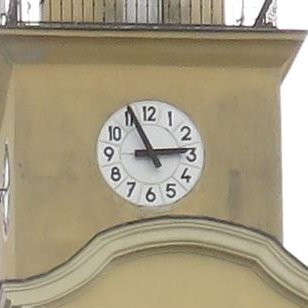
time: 11:13
